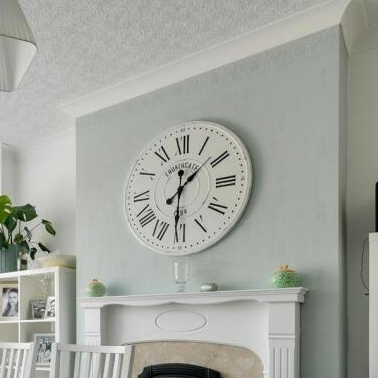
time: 1:31
